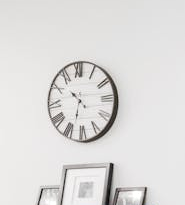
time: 10:32
